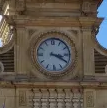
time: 3:19
